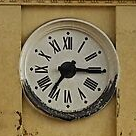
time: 7:15
